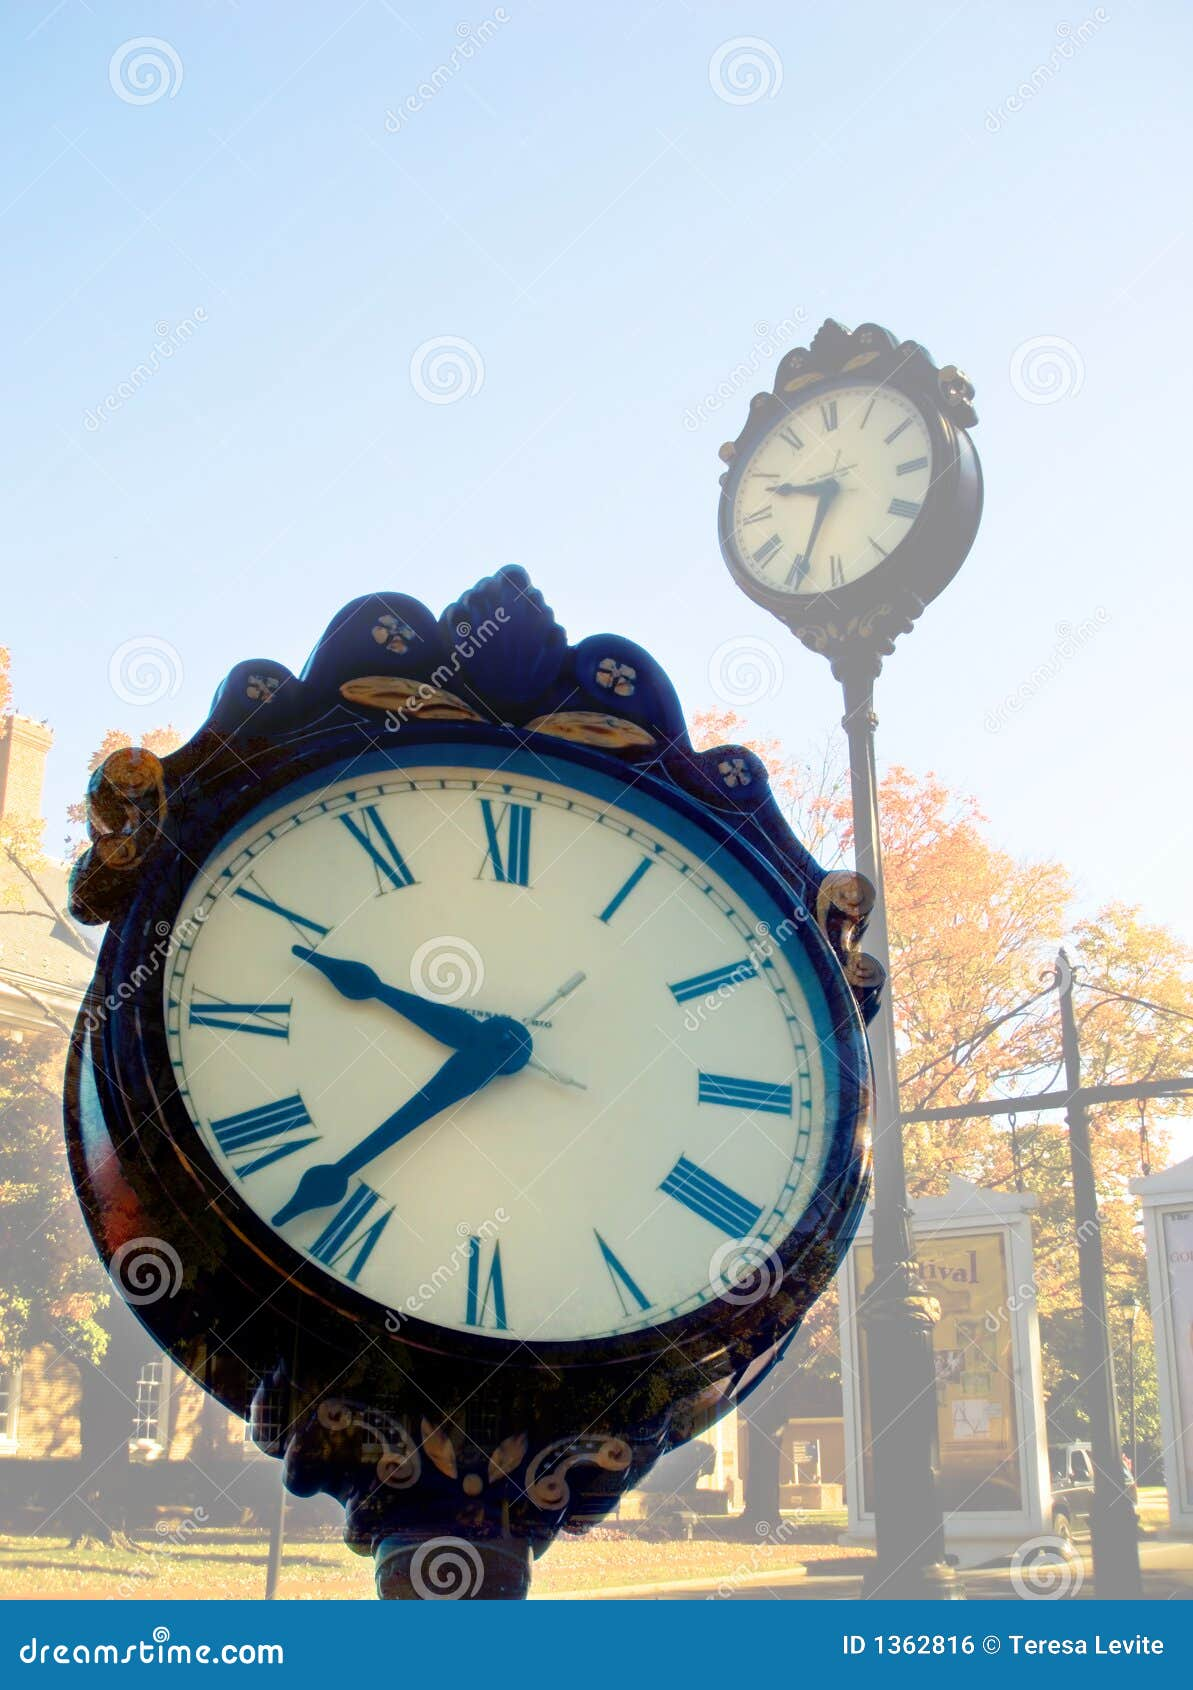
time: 9:36
